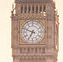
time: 6:48
